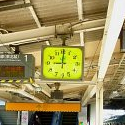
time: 9:00
